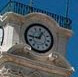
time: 12:44
